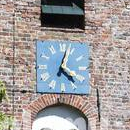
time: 4:02
